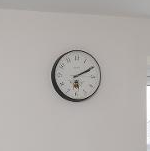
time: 2:10
